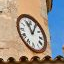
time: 11:05
